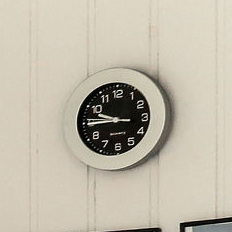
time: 9:45
